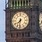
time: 7:31
